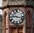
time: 9:17
